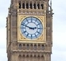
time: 2:48
